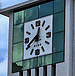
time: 12:40
